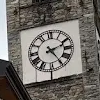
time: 2:24
